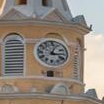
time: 3:03
